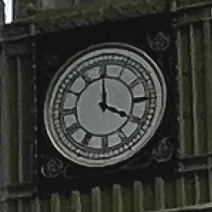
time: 4:00
